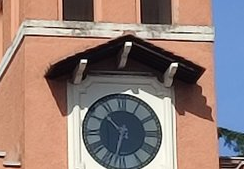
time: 10:32
